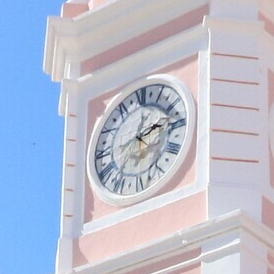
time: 2:02
